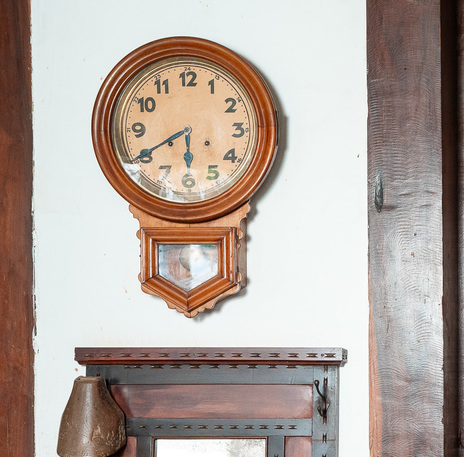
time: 5:40
